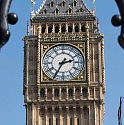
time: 2:35
